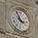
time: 3:56
